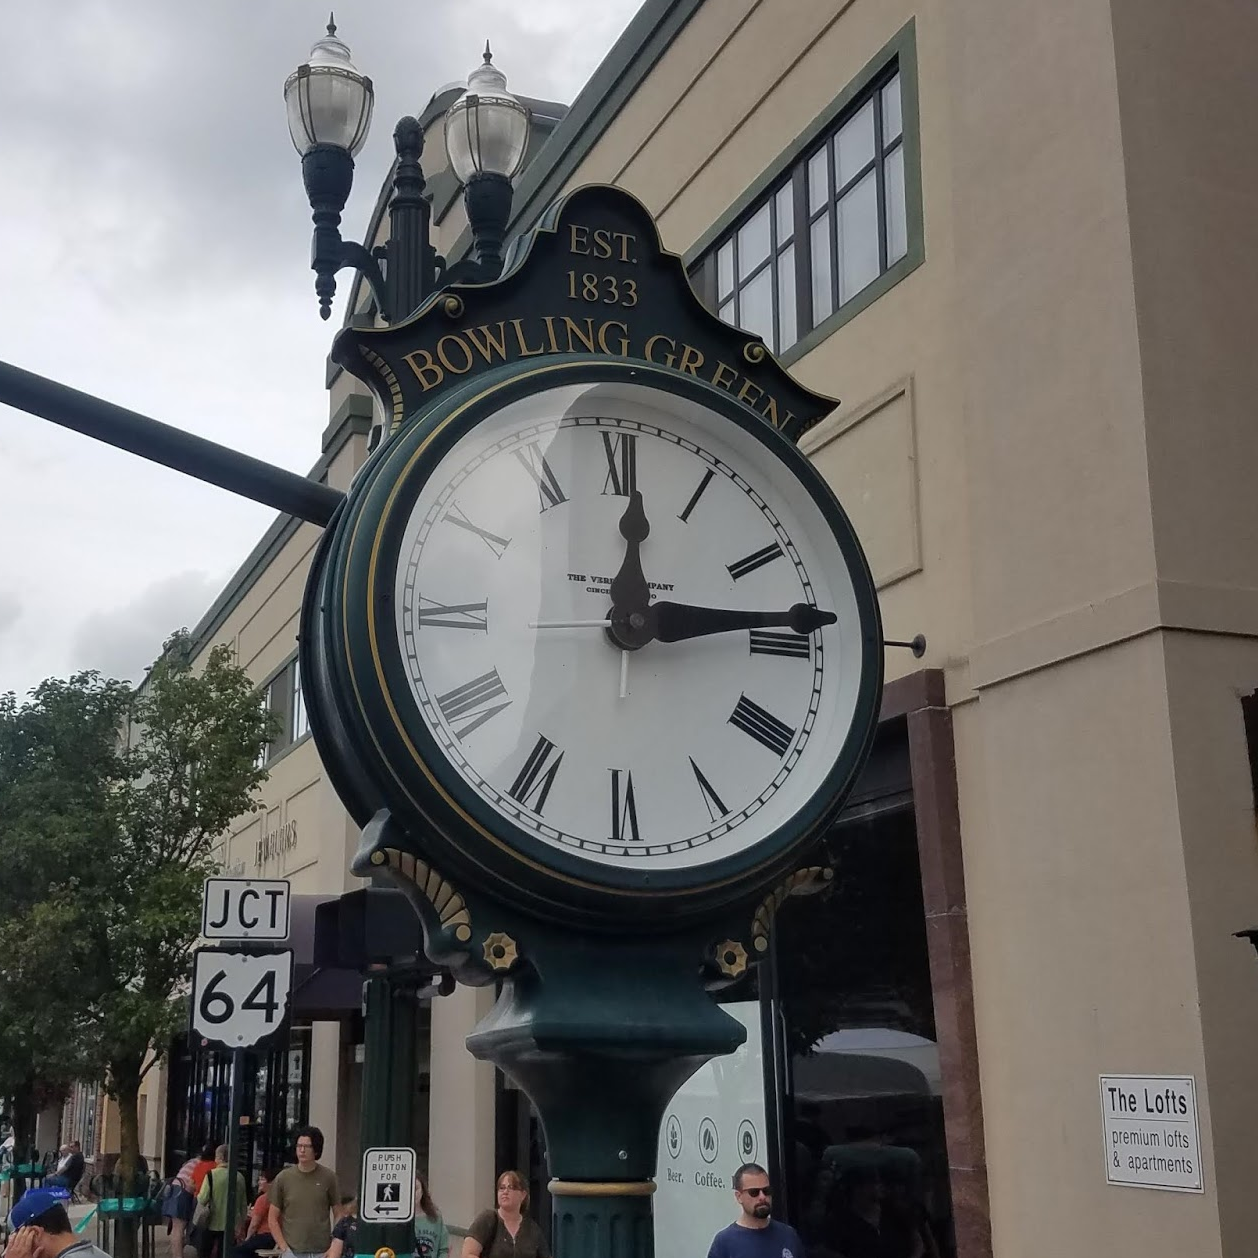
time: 12:13
